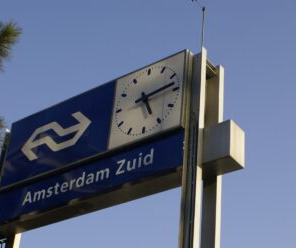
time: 5:13
